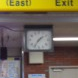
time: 1:36
